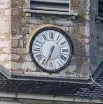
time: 6:34
